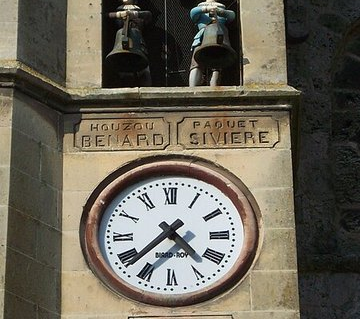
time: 4:37
